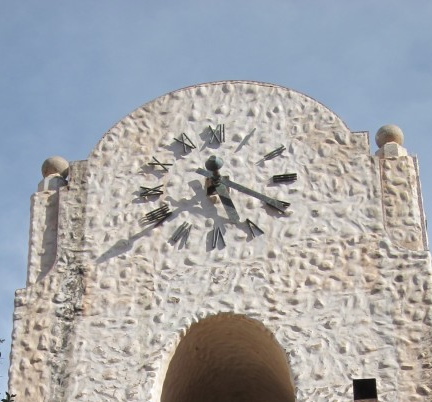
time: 5:18
